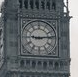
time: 9:13
